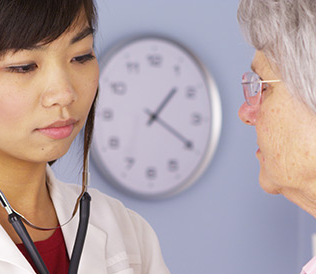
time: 1:19
